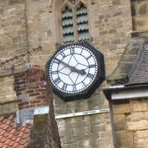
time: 3:51
